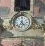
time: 4:35
